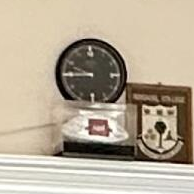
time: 9:44
